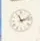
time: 11:12
